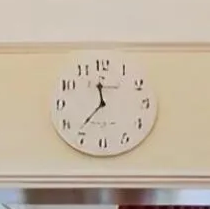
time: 11:36
